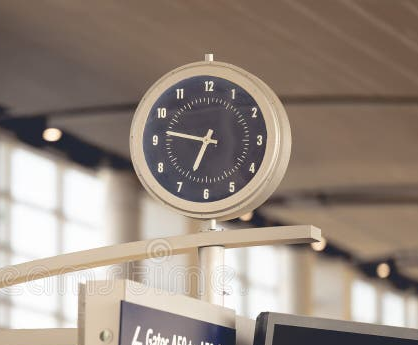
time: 6:46
